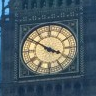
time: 3:50
